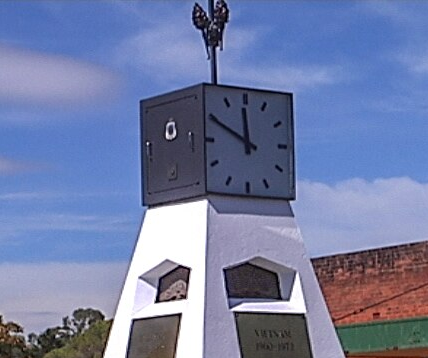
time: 11:49
